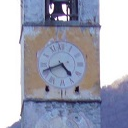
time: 4:41
